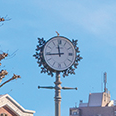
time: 11:44
